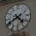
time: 4:40
